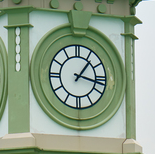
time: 1:17
